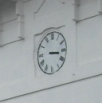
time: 3:16
